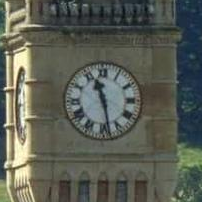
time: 11:28
